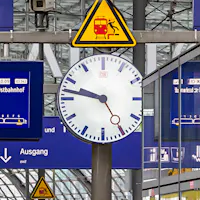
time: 9:47
